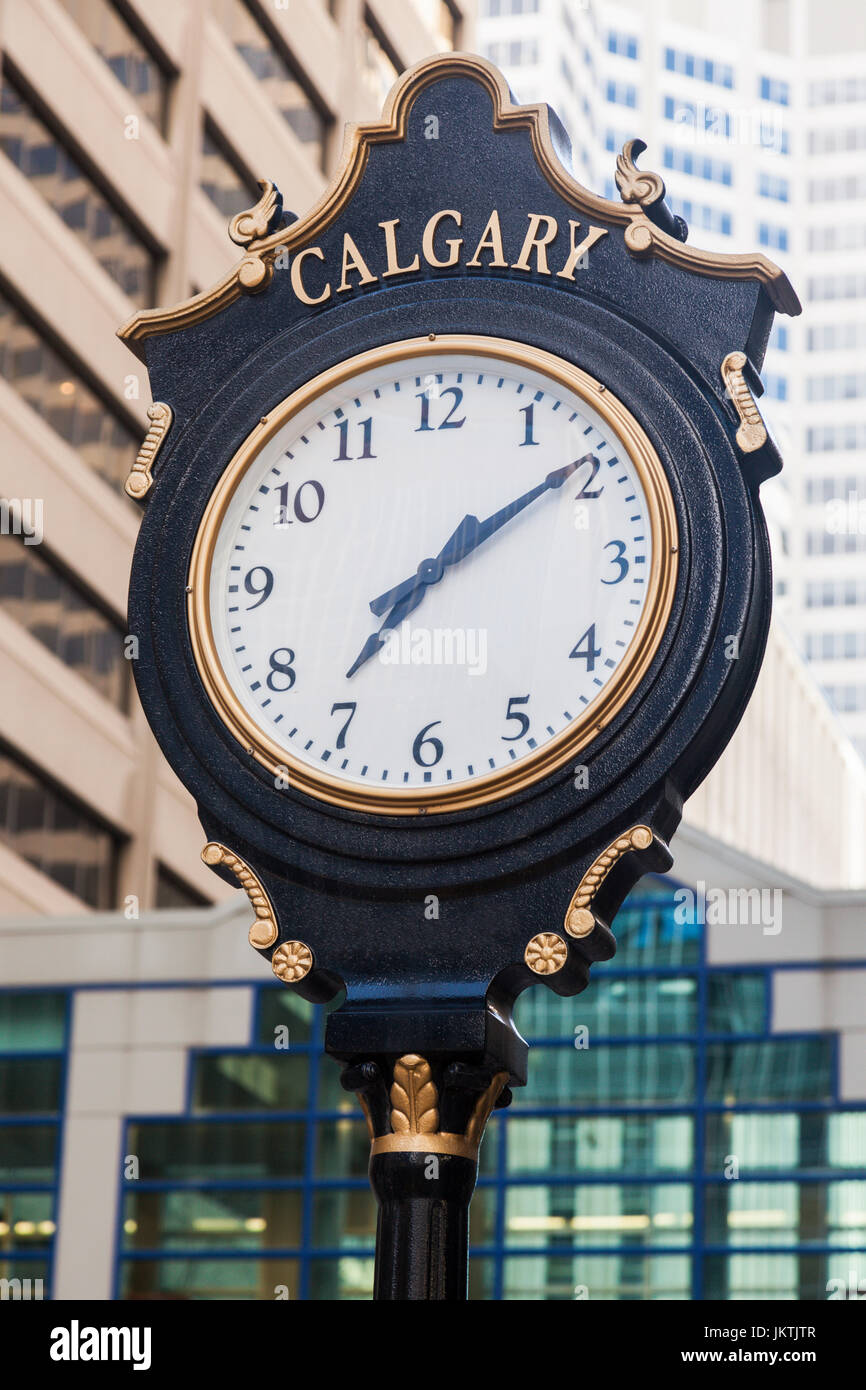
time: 7:09
